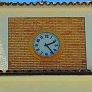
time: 2:23
